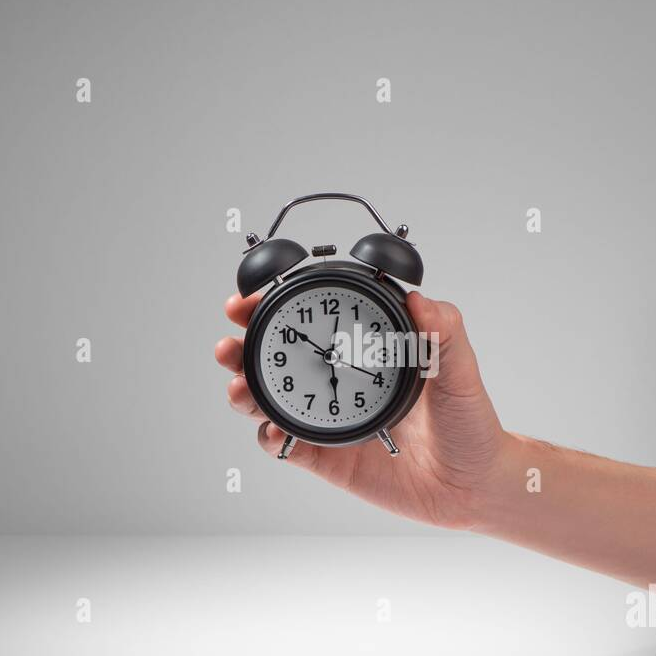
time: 5:51
